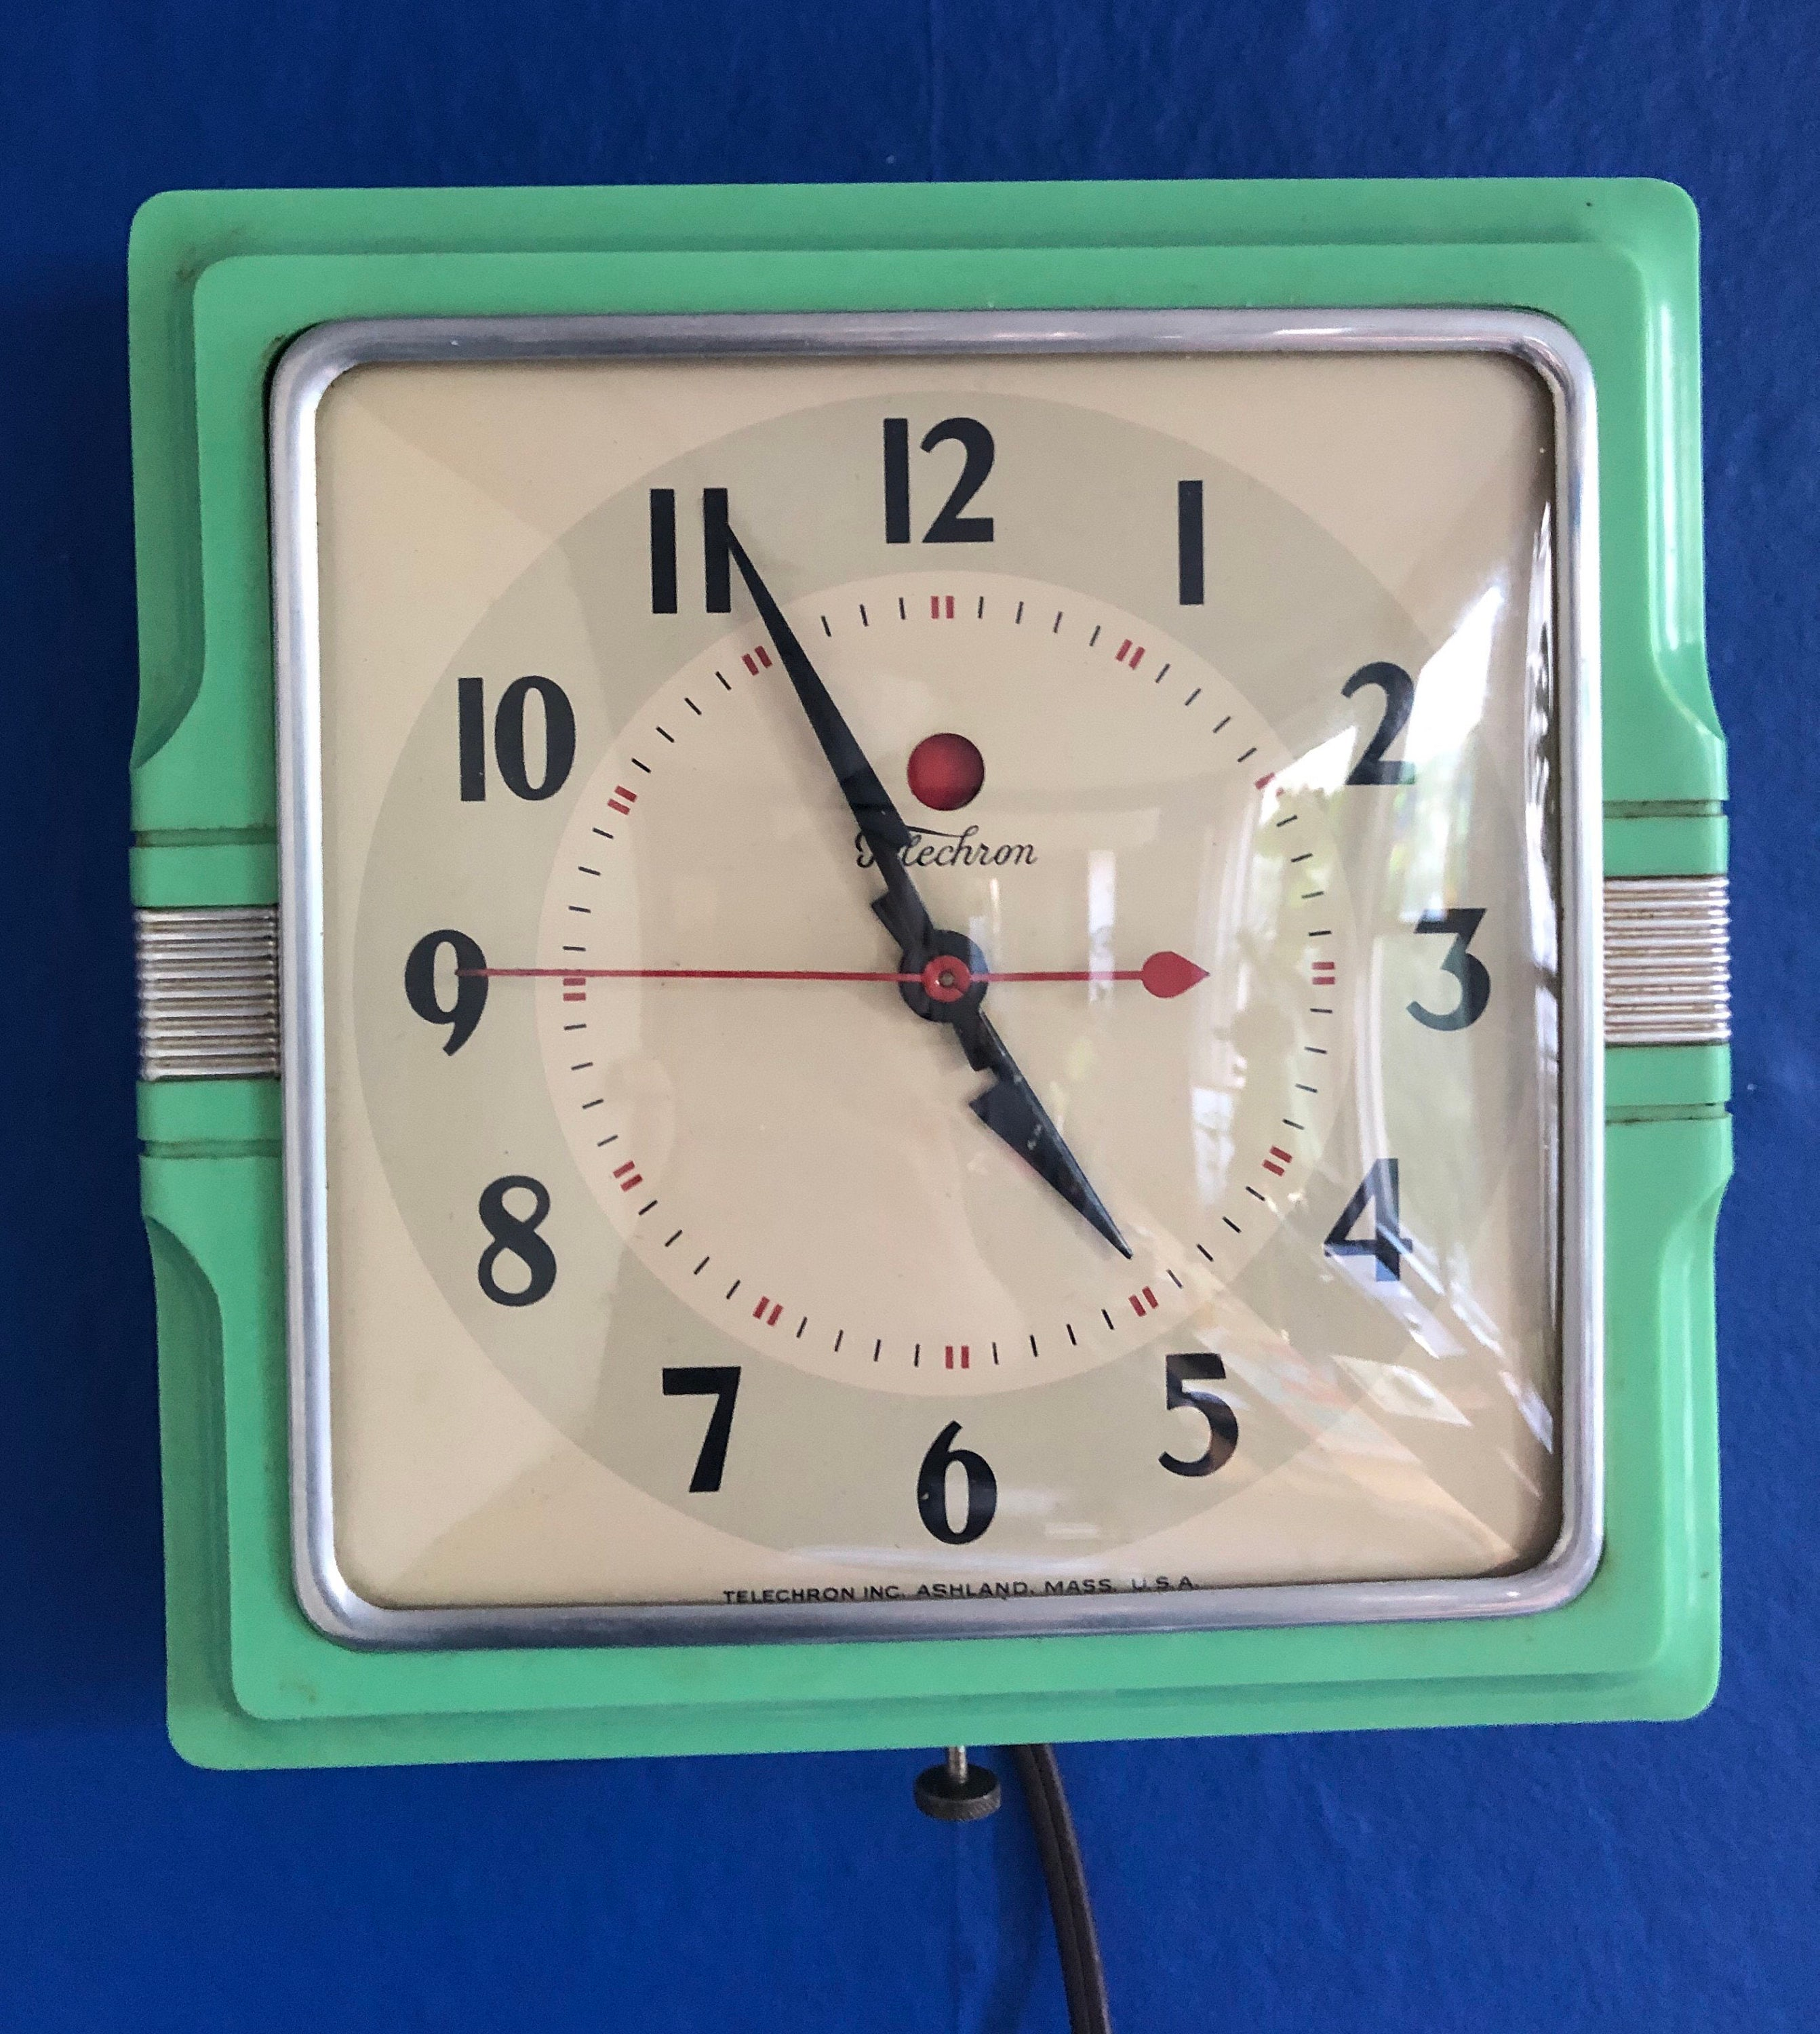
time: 4:55
